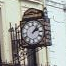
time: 2:06
